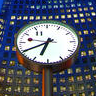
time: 6:40
